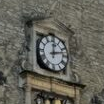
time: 12:12
